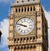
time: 9:48
